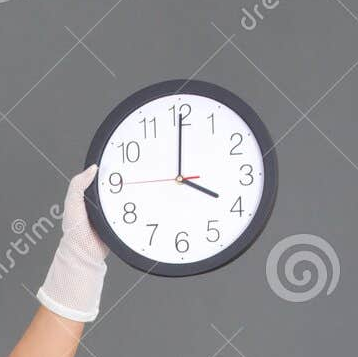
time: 4:00
